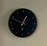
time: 12:48
